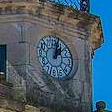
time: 1:02
